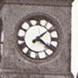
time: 4:08
